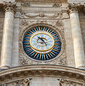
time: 10:24
